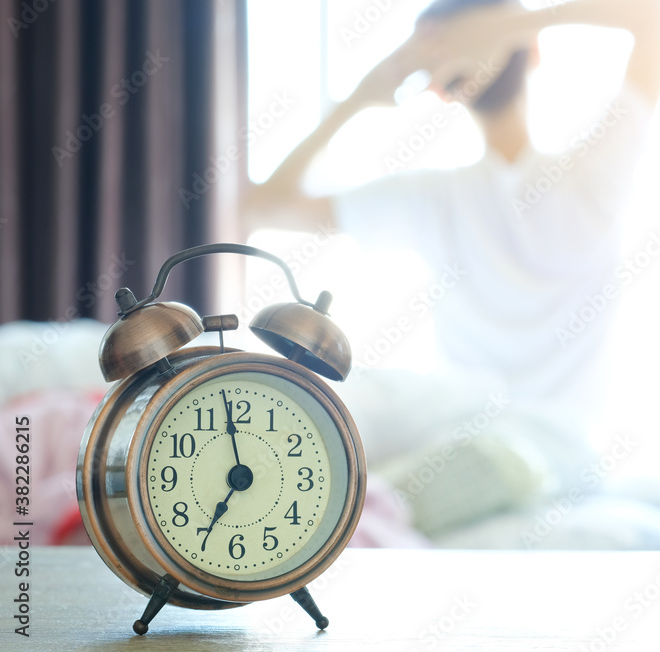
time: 6:58
